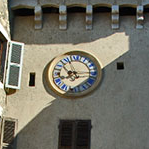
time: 8:14
